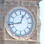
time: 12:43
